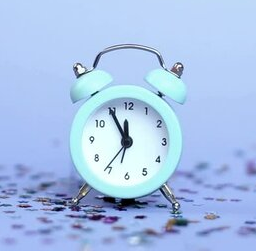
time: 11:55
